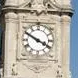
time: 3:49
